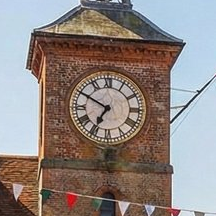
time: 6:49
